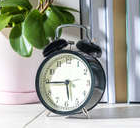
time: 5:44
